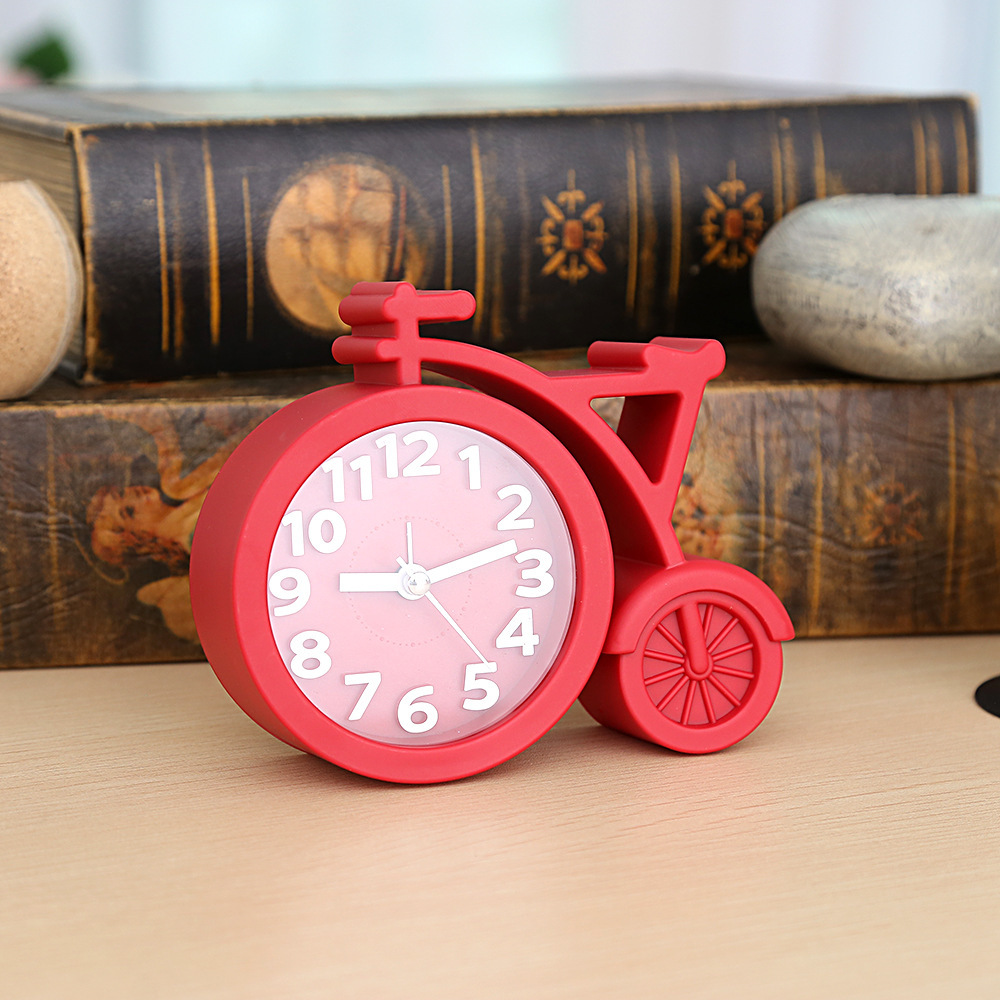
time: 9:12
